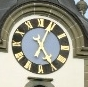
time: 5:04
